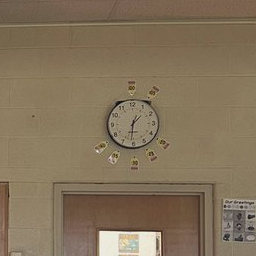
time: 1:31
